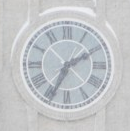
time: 1:34
